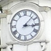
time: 3:07
